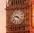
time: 9:22
